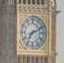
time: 7:10
